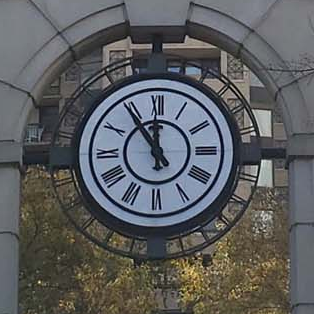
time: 11:54
